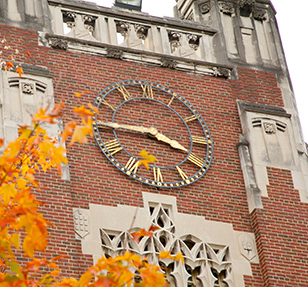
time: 3:45
